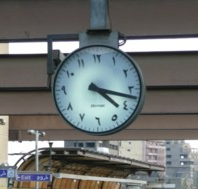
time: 4:17
